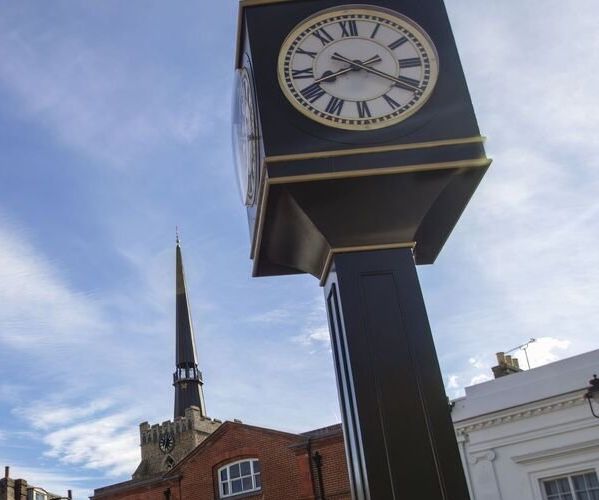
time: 8:20
